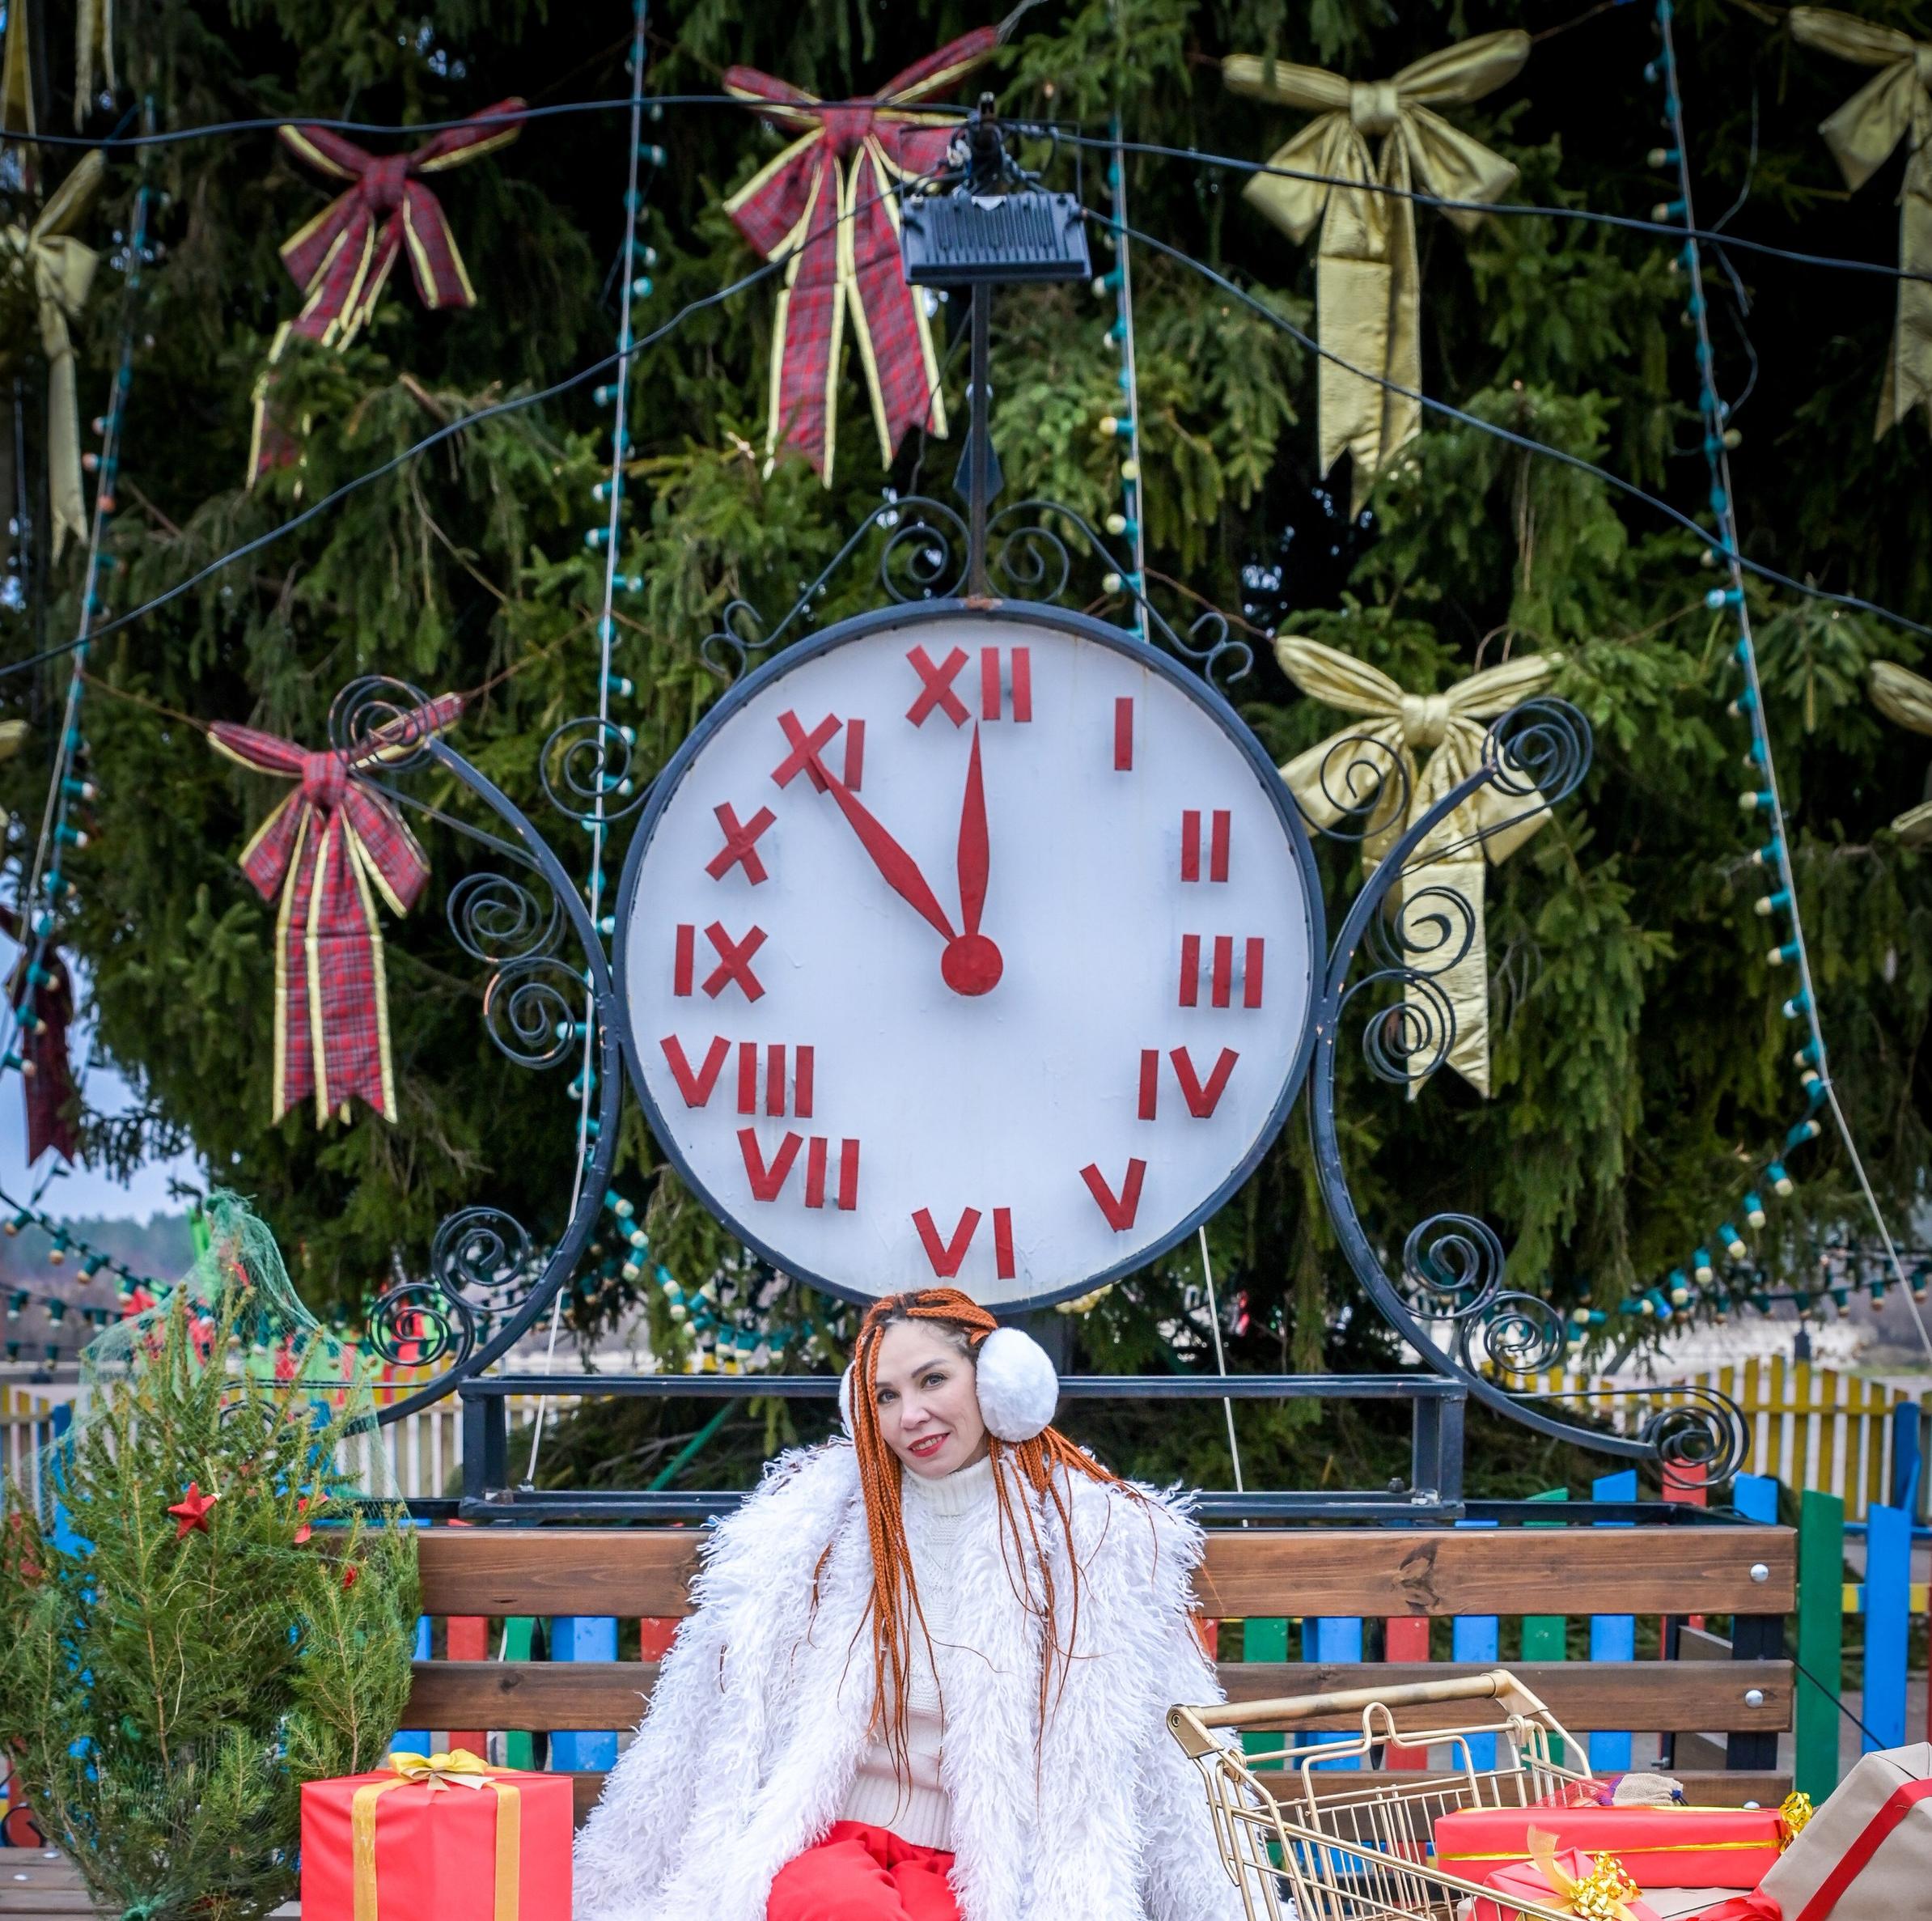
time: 11:53
